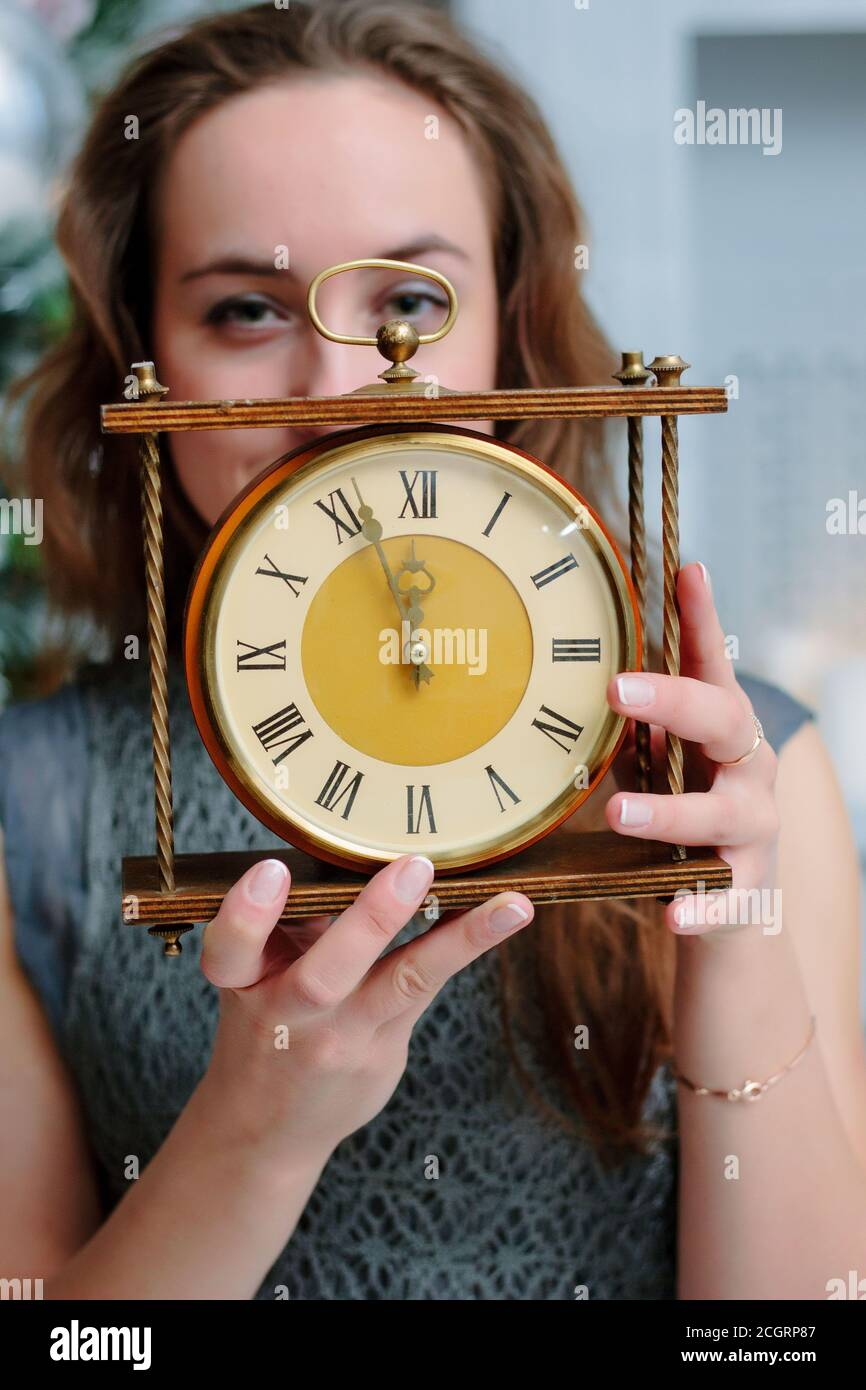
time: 11:57
